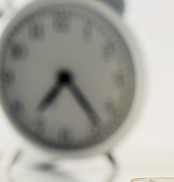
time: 7:23
